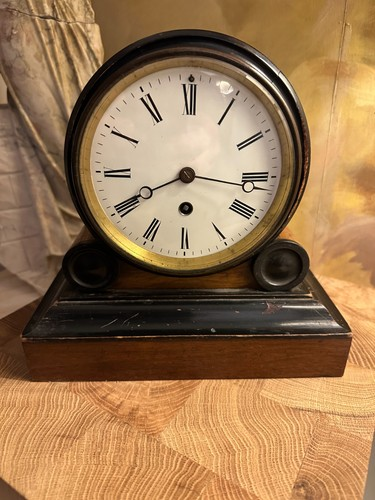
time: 8:16
